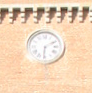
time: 6:10
